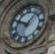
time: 10:07
